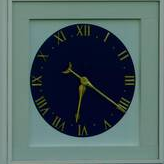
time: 6:20
